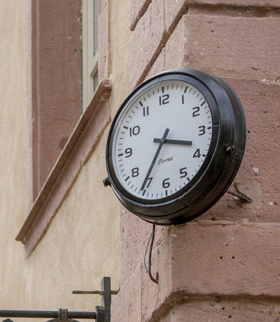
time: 3:35
